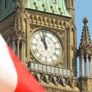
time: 10:58
